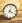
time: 4:04
